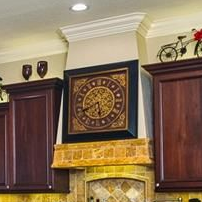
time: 5:41
